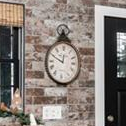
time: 11:49
